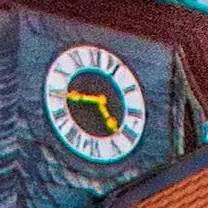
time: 4:44
